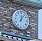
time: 12:06
